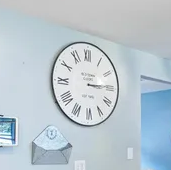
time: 3:14
